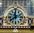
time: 11:38
